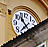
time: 10:36
